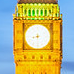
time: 8:30
